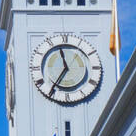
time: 11:35
